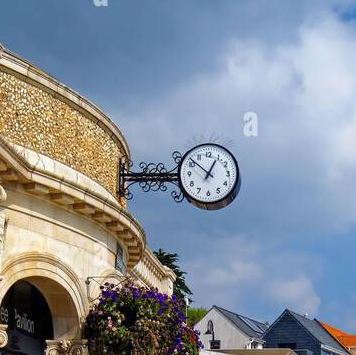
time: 12:52
